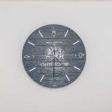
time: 4:30
